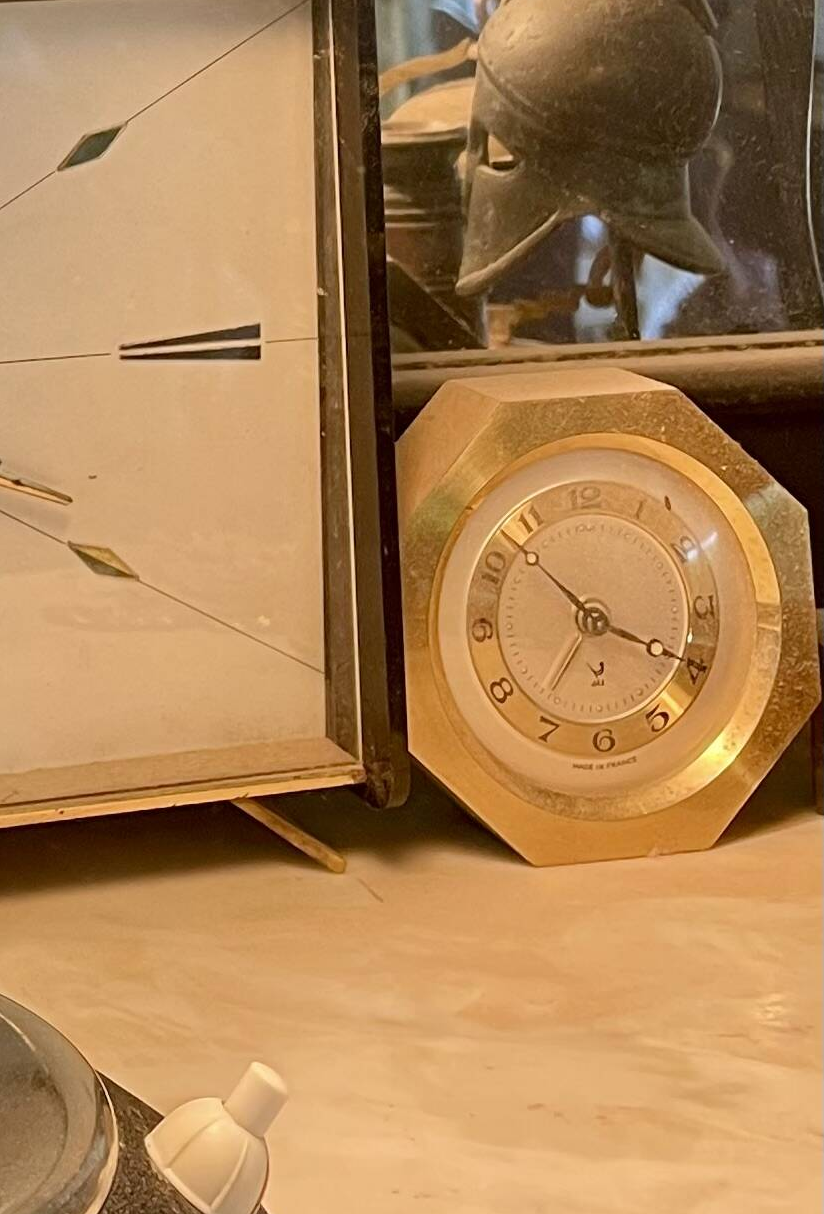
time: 3:52
